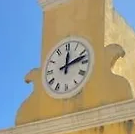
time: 12:12
